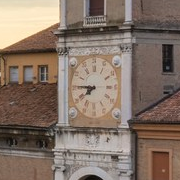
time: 7:45
